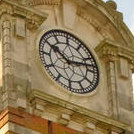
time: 10:12
